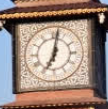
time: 7:01
